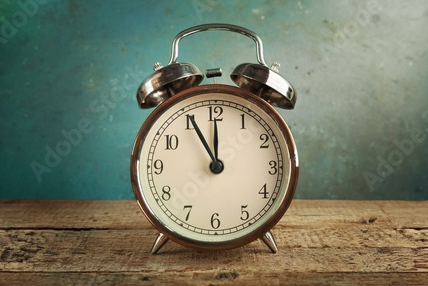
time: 11:55
